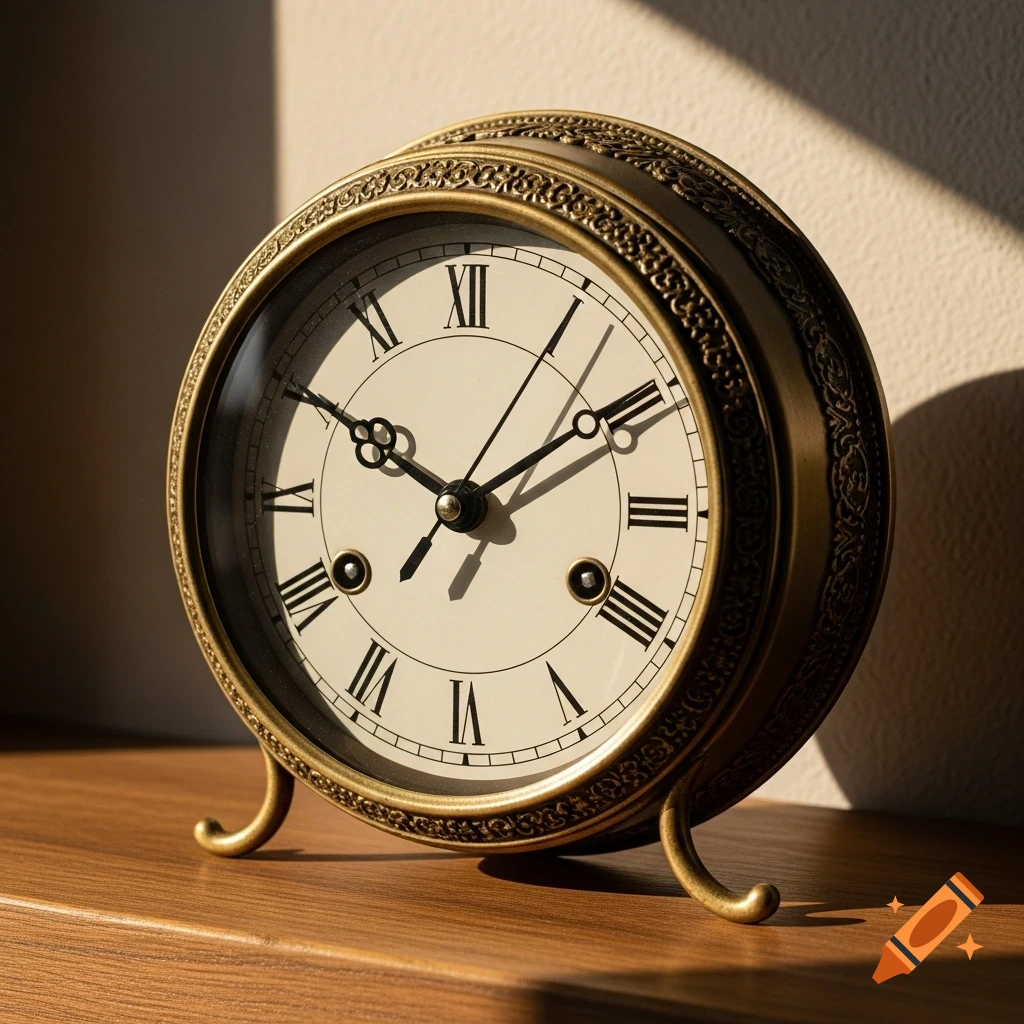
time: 1:50
